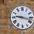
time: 9:17
